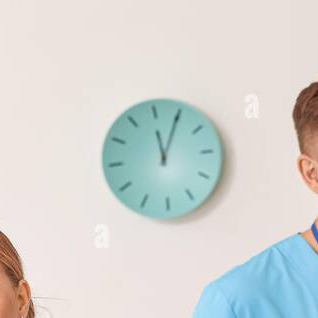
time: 12:04
